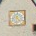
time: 4:31
